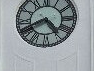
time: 4:40
